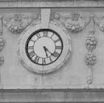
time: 5:21
